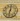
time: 12:32
